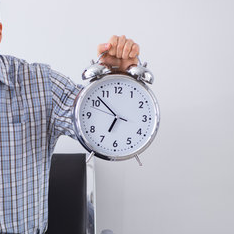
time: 6:52
